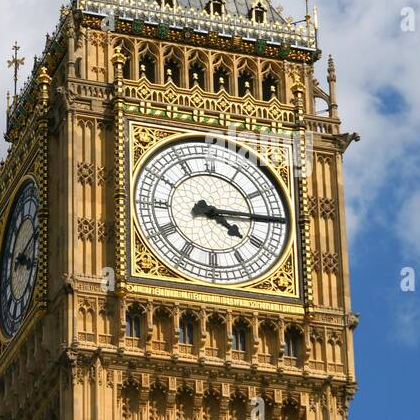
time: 4:14
